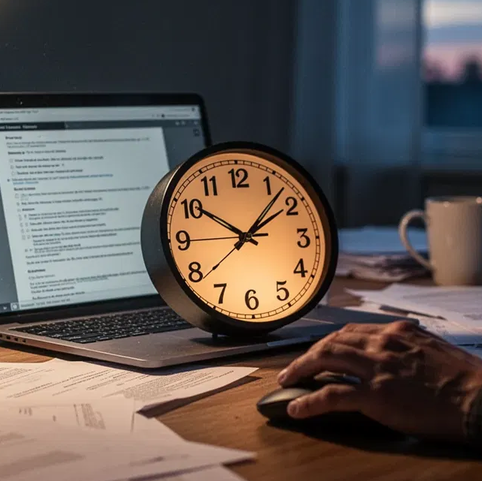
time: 10:07
